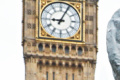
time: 9:04
